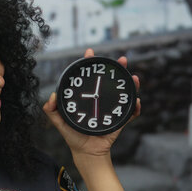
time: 9:00
